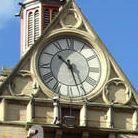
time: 10:26
